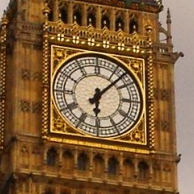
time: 6:07
